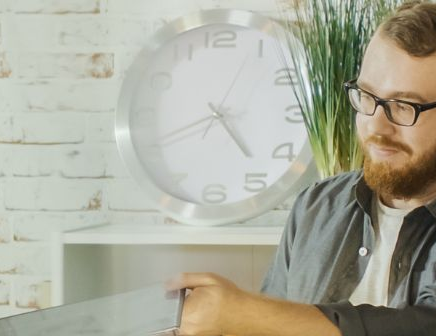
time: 4:41
